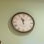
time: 11:56
